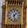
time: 1:28
